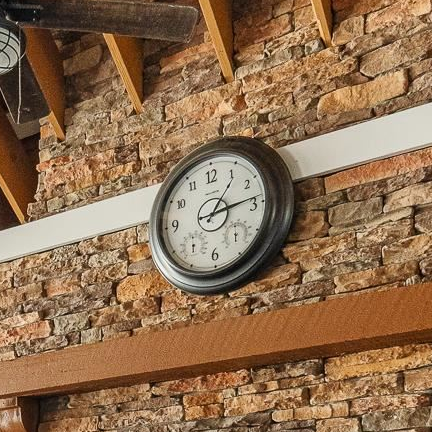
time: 1:13
